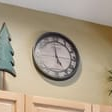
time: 4:59
